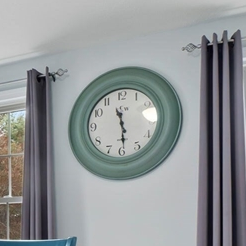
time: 11:29
